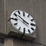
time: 3:51
